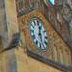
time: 12:28
